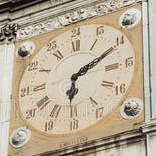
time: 6:10
